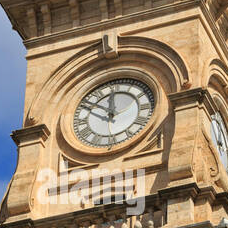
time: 11:50
